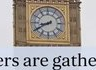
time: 8:40
